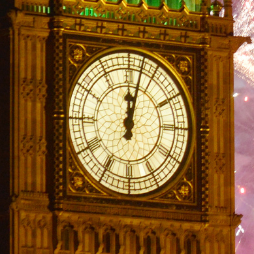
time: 12:02
